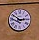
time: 2:50
